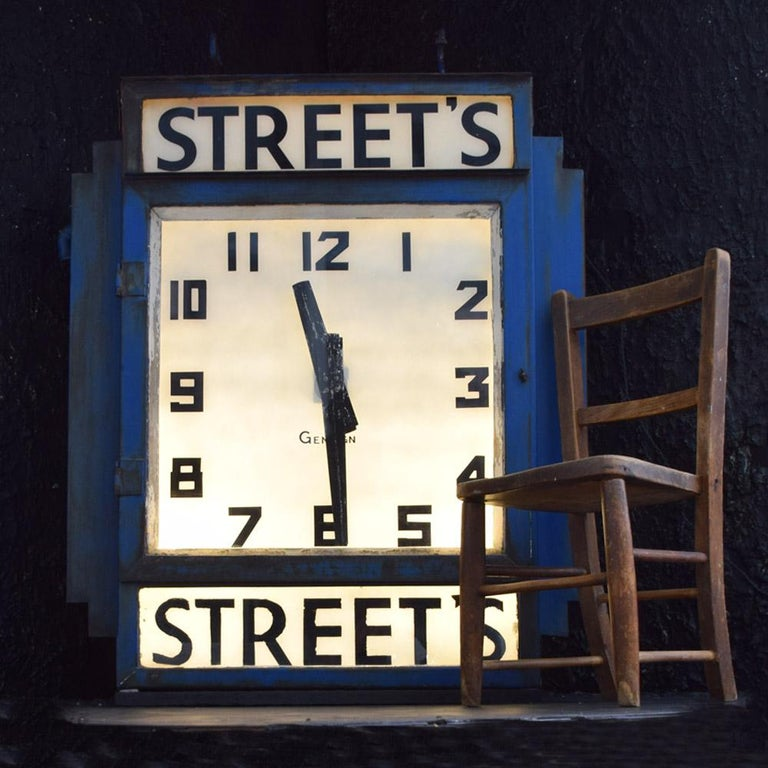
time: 11:29
